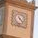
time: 4:22
